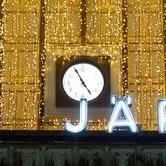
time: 4:55
